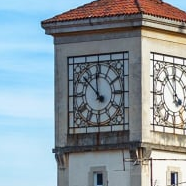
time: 11:52
